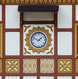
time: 1:49
